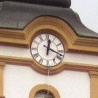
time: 12:18
